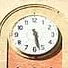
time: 5:27
